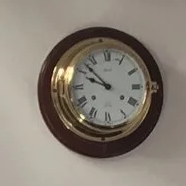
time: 9:53
